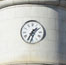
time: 1:34
